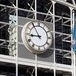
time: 8:54
